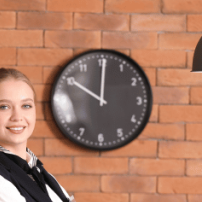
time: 10:00
